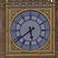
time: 5:38
